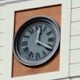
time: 12:20
